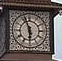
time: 5:56
